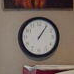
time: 1:05
